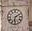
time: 6:10
